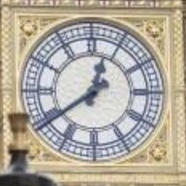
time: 12:39
